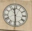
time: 11:29
